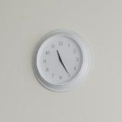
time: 11:24
